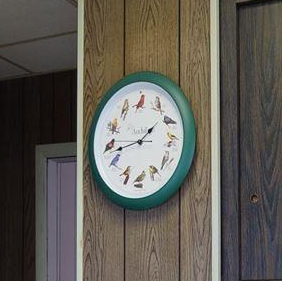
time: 1:42
